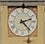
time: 2:23
